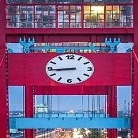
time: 8:43
